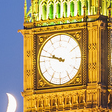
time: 9:47
